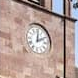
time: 2:01
